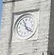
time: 11:21
